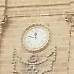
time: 11:47
